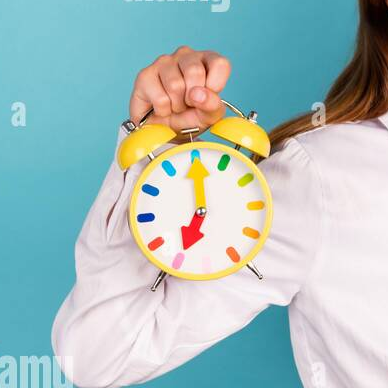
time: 7:00
